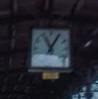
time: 11:05
